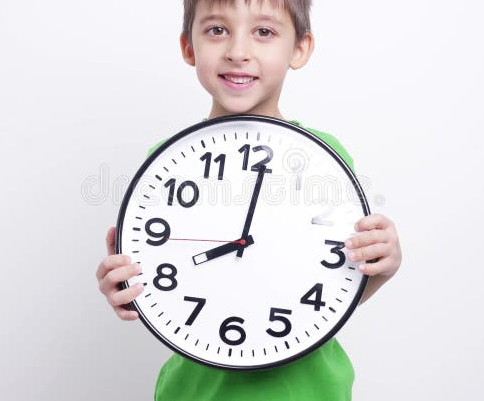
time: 8:01
